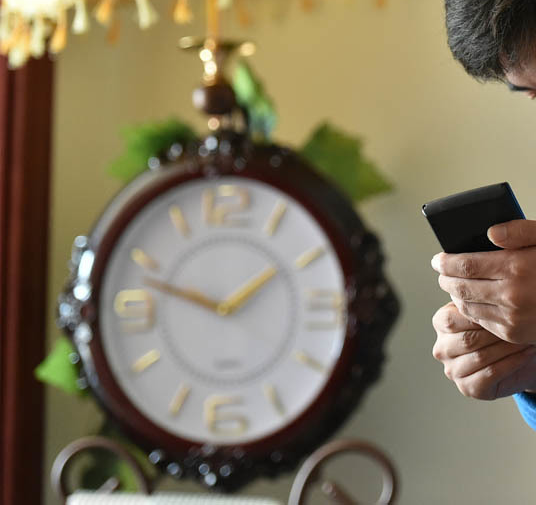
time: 1:47
